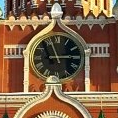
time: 11:14
